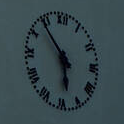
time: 5:53
